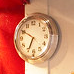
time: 6:50
